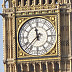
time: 11:37
